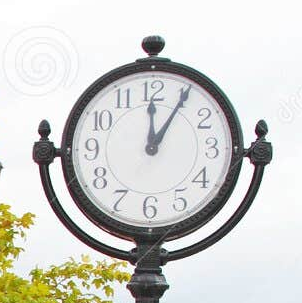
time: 12:05
